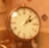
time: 2:06
